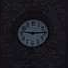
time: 9:14
